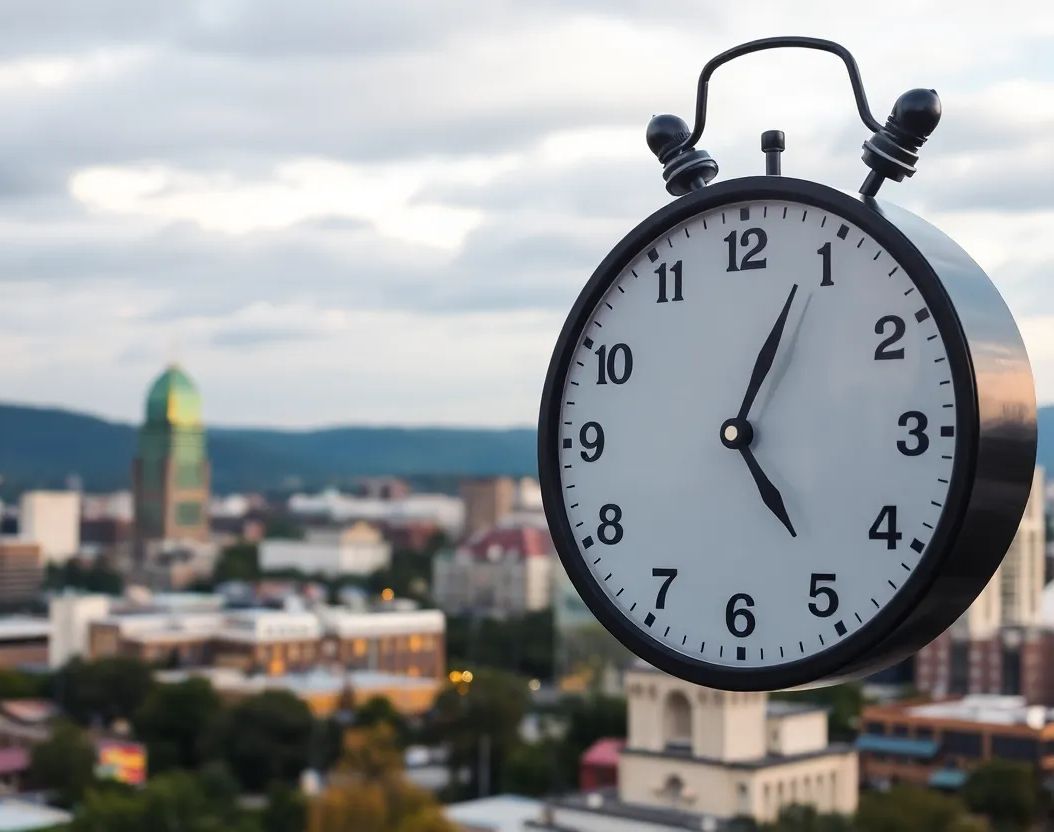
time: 5:04
